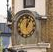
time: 1:01
